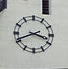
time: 3:41
